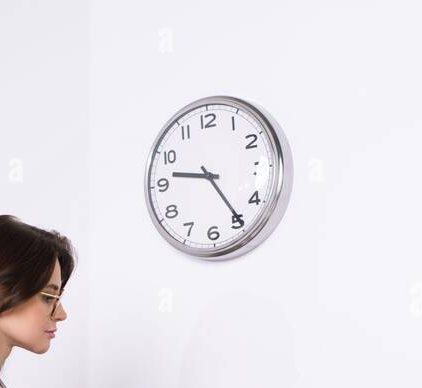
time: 9:24
